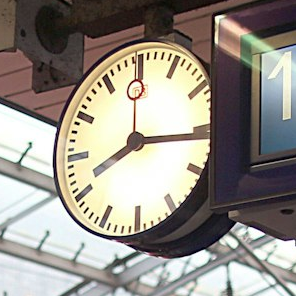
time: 8:16
